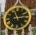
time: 11:13
